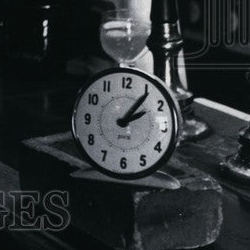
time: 2:06
